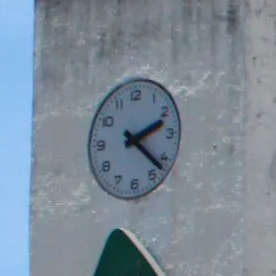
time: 2:22
